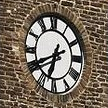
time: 6:40
